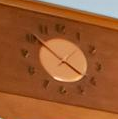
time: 3:51
